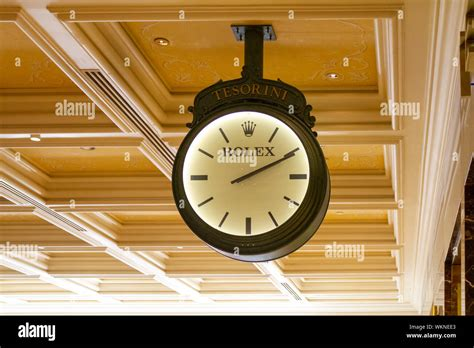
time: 2:10
